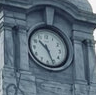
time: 10:26
